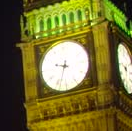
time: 9:33
